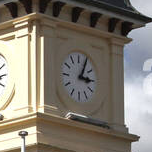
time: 3:04
